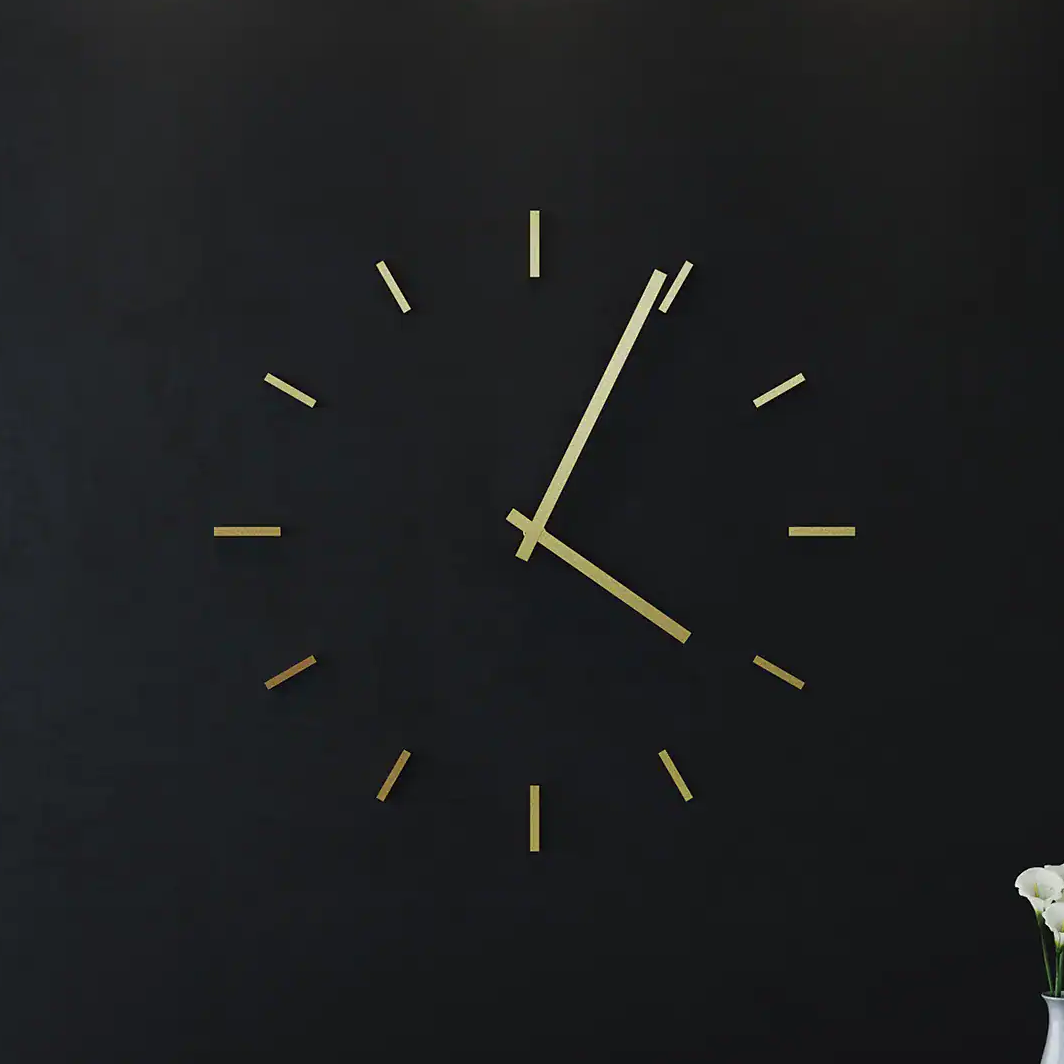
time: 4:04
